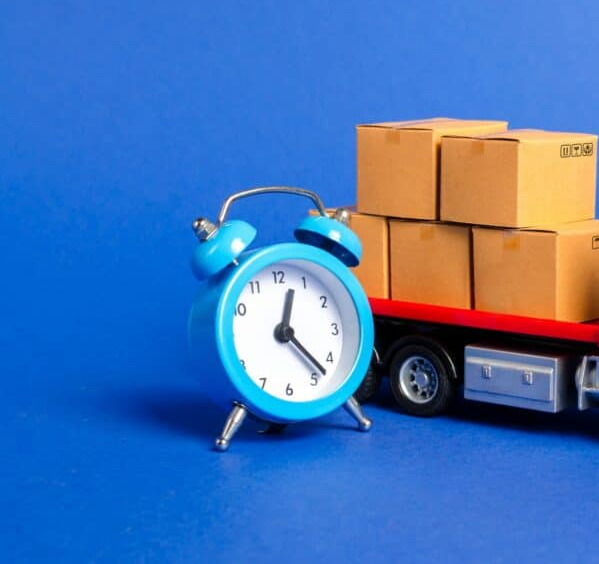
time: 12:23
